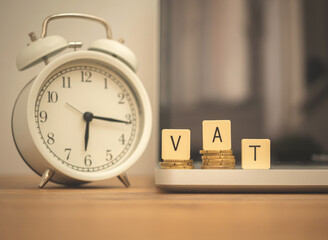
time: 6:15
